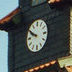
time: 9:50
